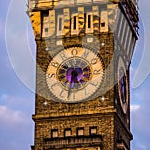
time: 5:31
